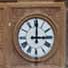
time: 3:00
